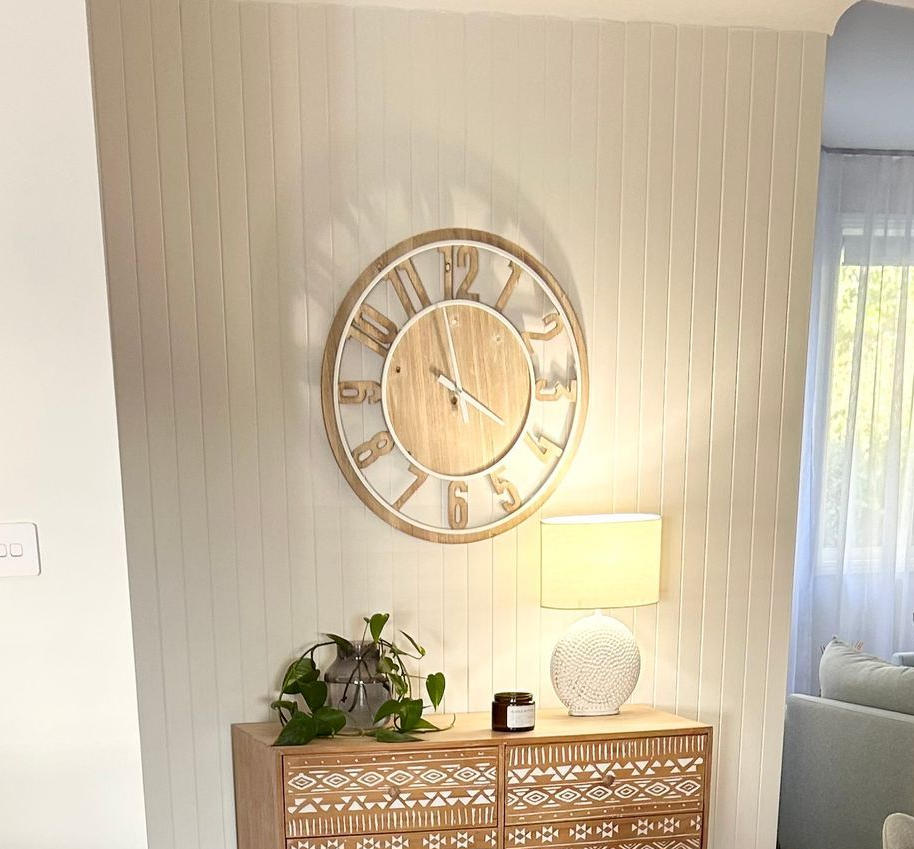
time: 3:57
